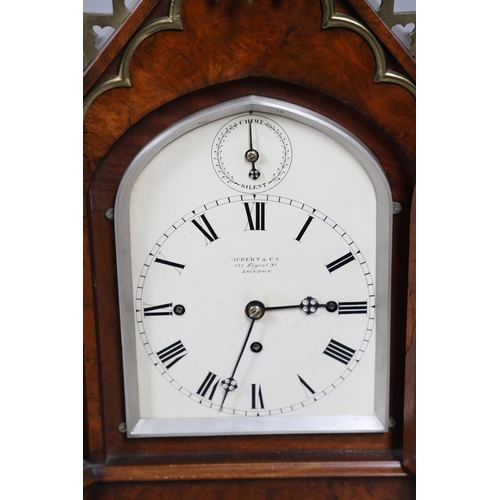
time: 2:33
